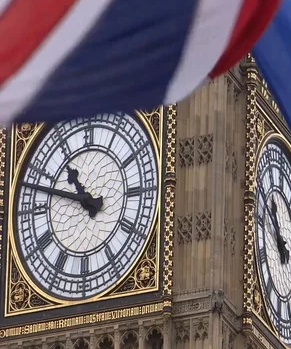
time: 10:47
